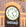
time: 5:08
